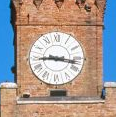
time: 9:16
